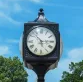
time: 5:14
